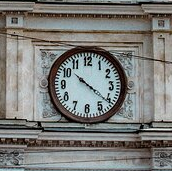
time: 10:21
